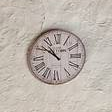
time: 10:51
